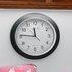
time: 11:46
